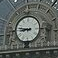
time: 8:46
